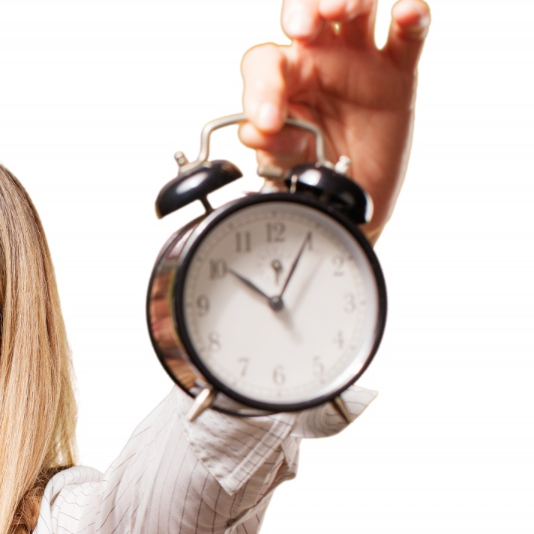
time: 10:04
